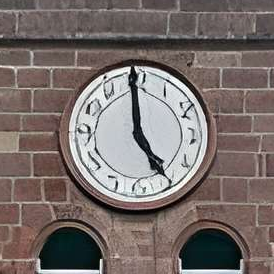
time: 4:59
